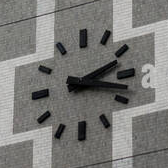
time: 2:17
